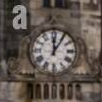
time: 12:05
